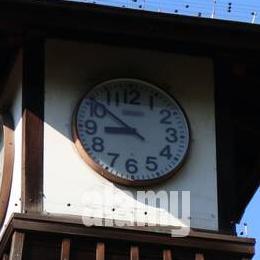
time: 8:51
